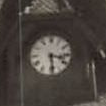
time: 3:28
